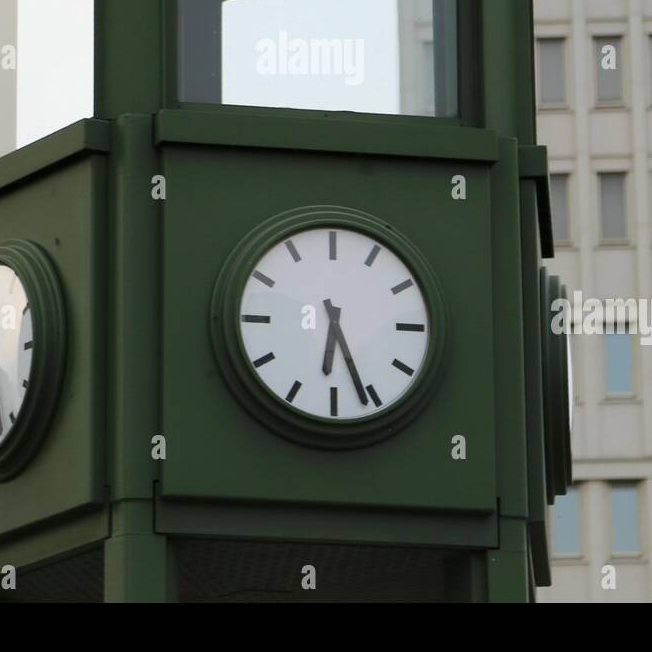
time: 6:26
